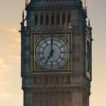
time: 7:00
